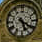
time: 5:20
